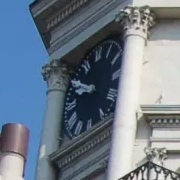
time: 9:50
